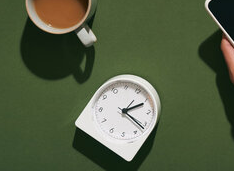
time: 2:21
